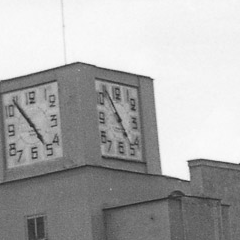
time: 4:54
